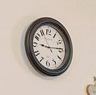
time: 9:13
